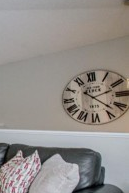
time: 2:21
